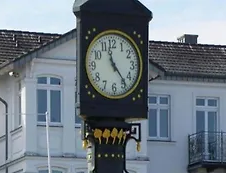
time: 11:23
